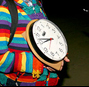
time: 7:41
